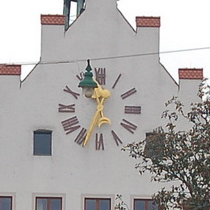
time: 11:33
